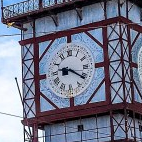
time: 9:20
